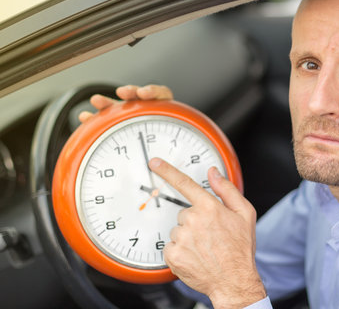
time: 3:58
